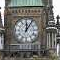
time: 12:05
